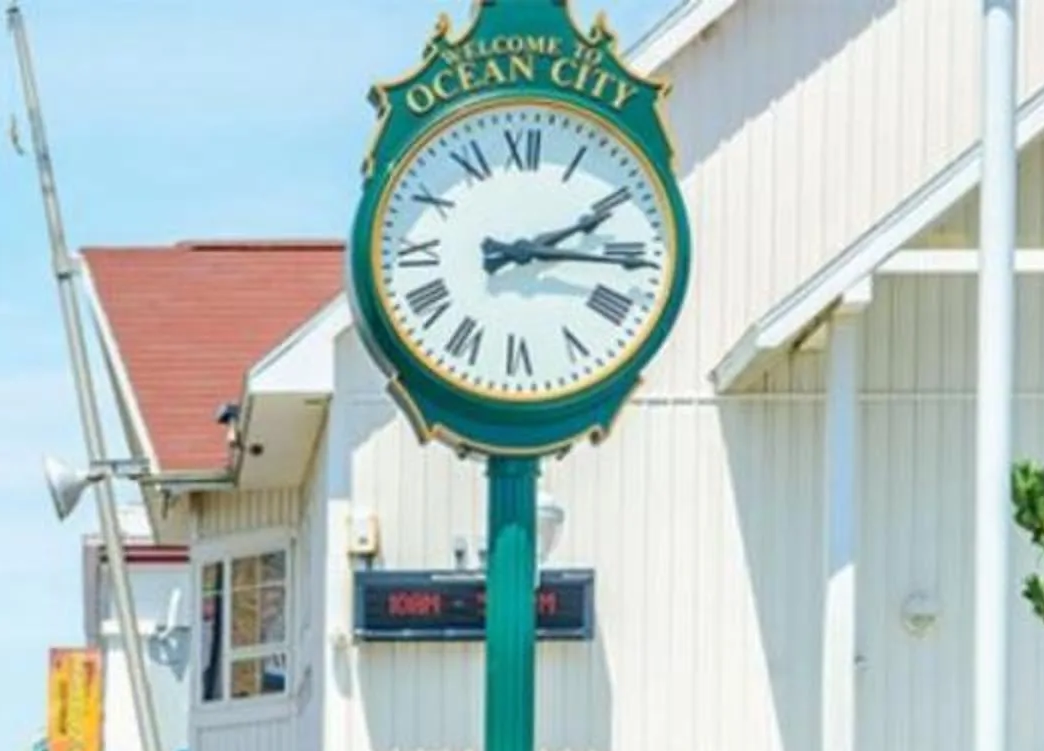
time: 2:15
